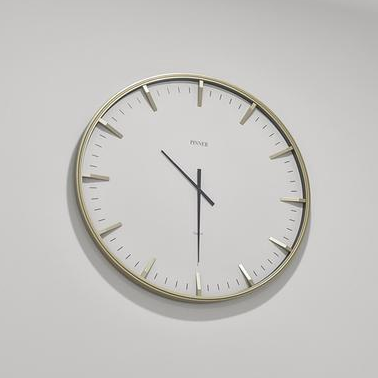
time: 10:29
